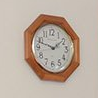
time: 1:47
